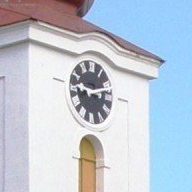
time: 9:12
